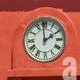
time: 1:59
